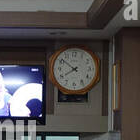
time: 7:51
